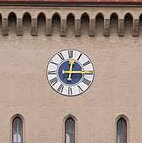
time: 12:14
